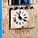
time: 11:19
